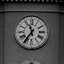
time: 11:35
